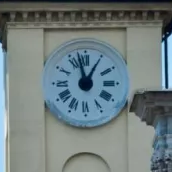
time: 12:57
